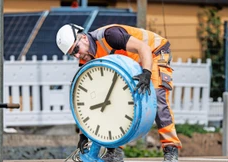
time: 8:05
